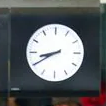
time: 8:40
